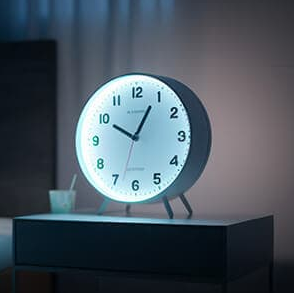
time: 10:04
